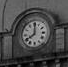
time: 8:00
